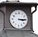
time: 3:14
